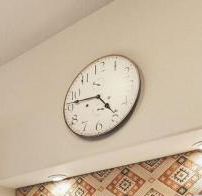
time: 4:46
